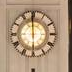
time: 5:59
